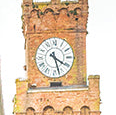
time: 5:20
